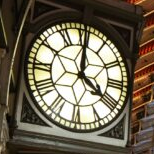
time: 4:00
